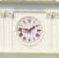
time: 1:46
